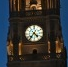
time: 4:36
